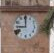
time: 8:59
